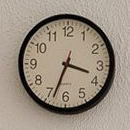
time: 3:33
